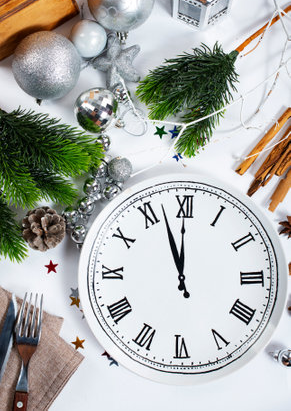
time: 11:56
